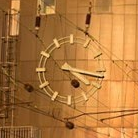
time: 4:16
